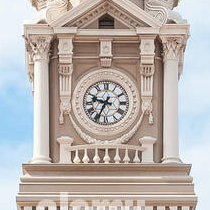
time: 9:34
